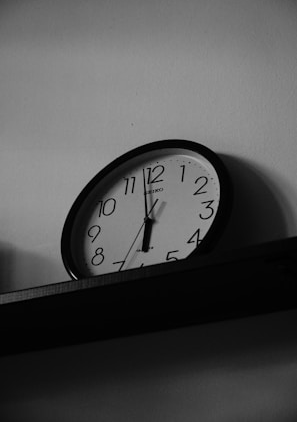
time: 5:57
